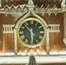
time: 10:29
